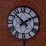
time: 1:52
